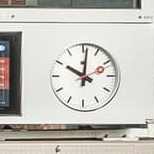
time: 10:01
